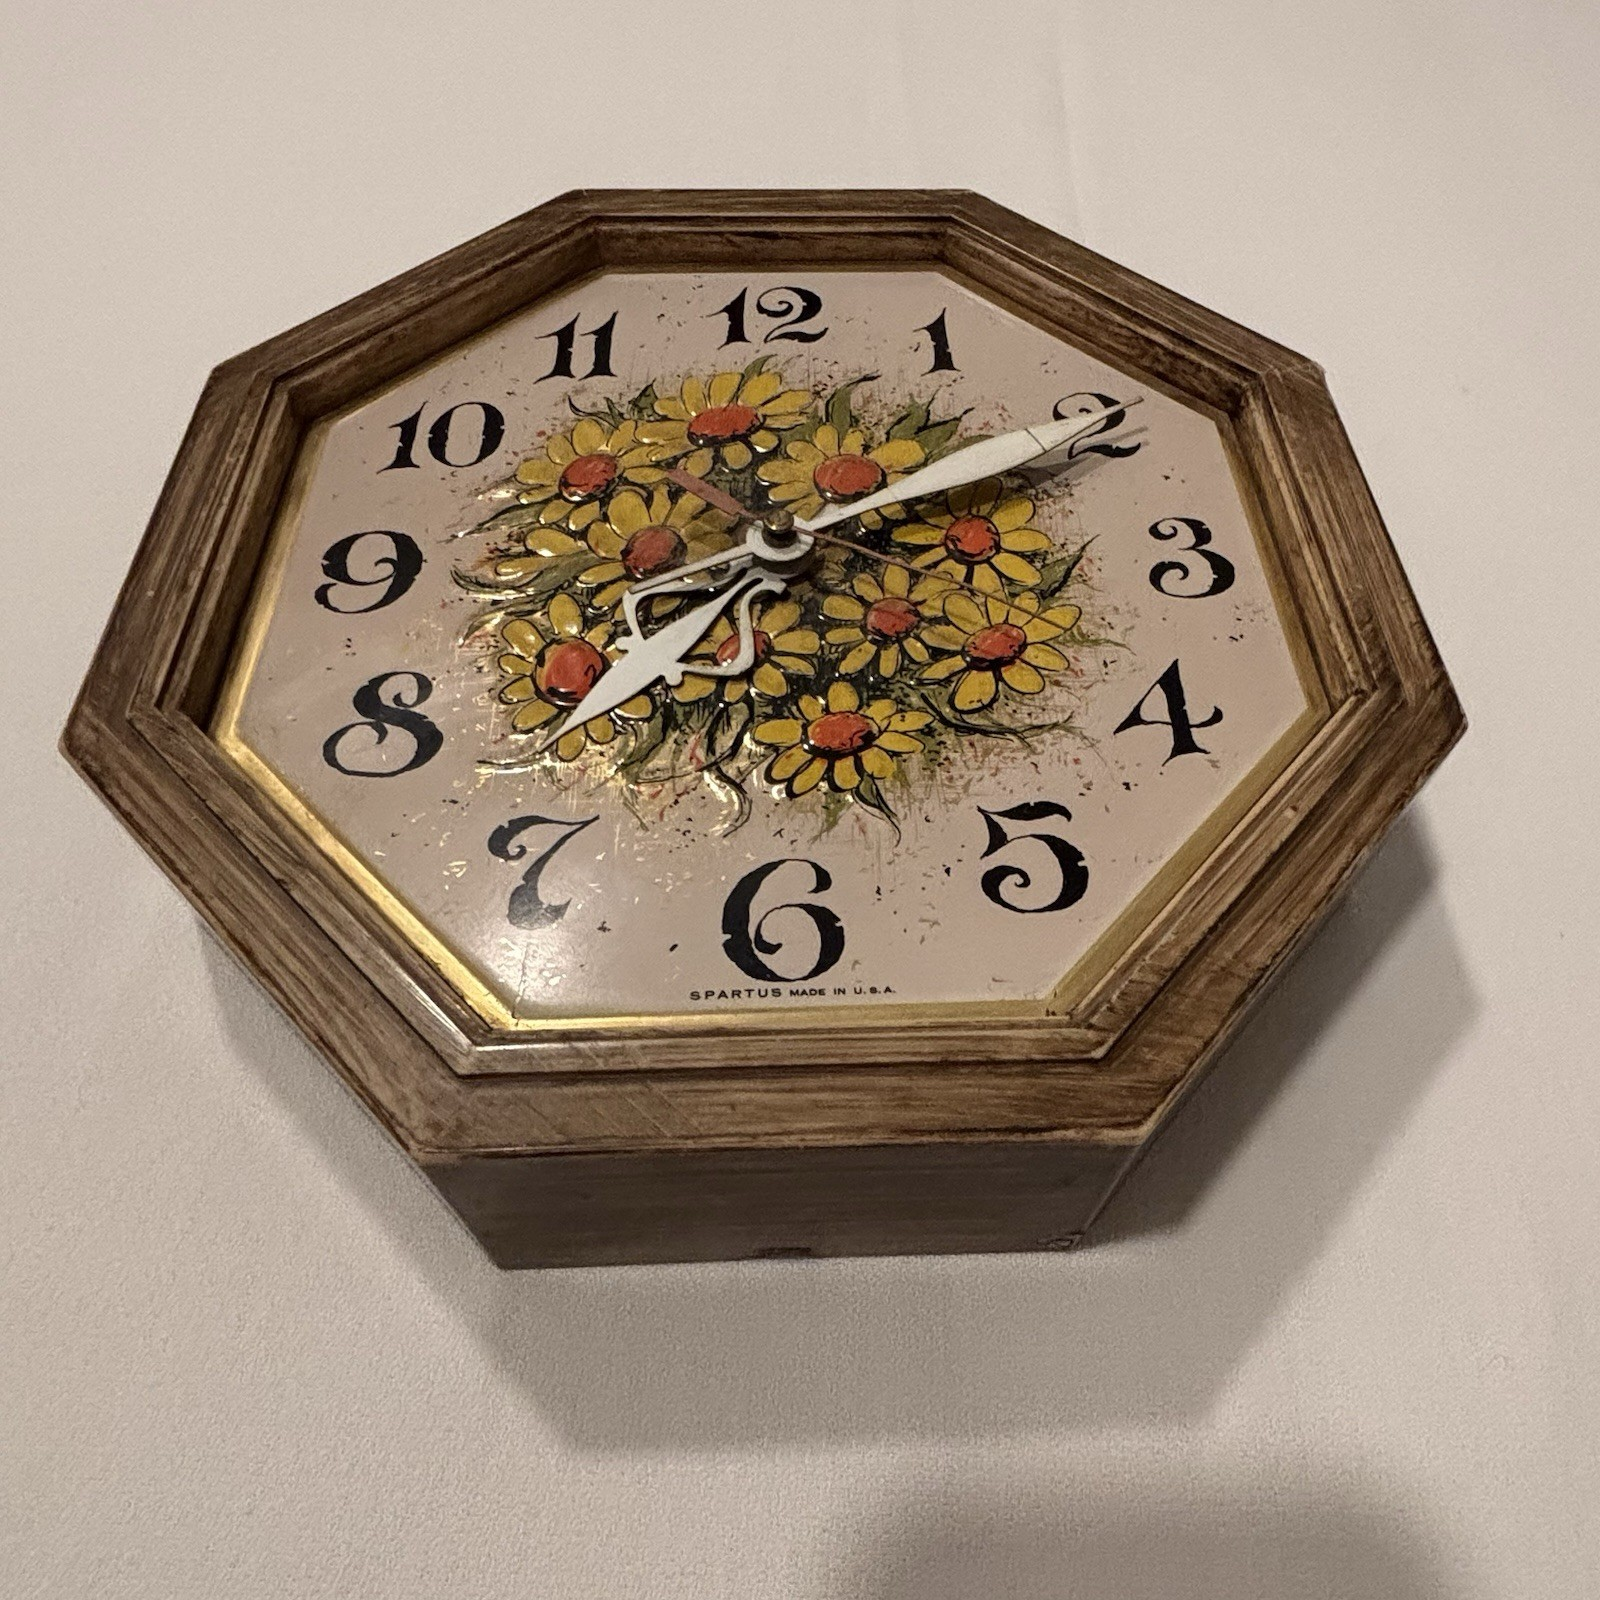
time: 7:10
